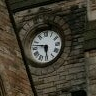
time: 5:47
